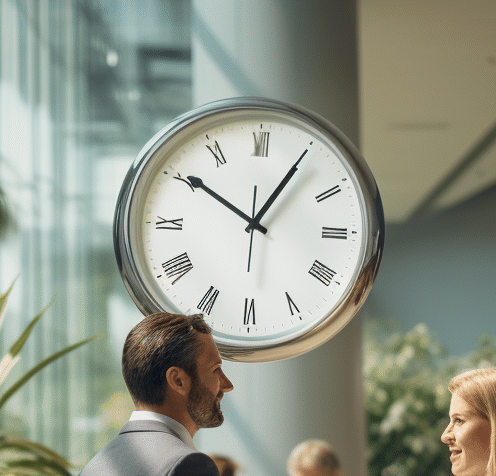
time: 10:05
